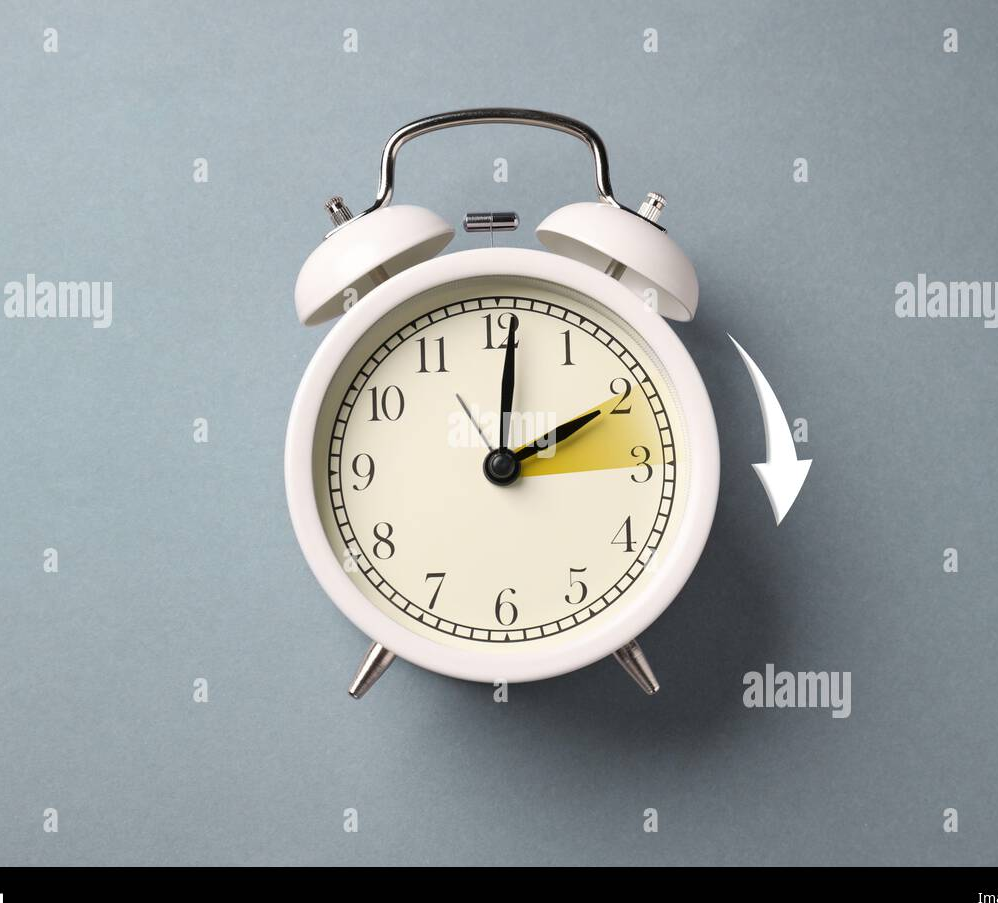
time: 2:01
